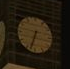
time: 6:33
